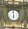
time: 5:59
